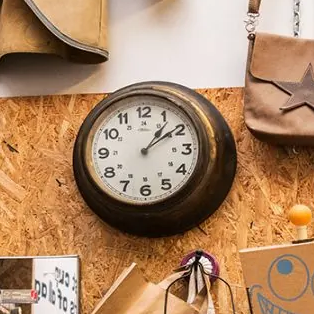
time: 1:08
